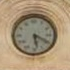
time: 5:19
